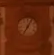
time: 7:04
